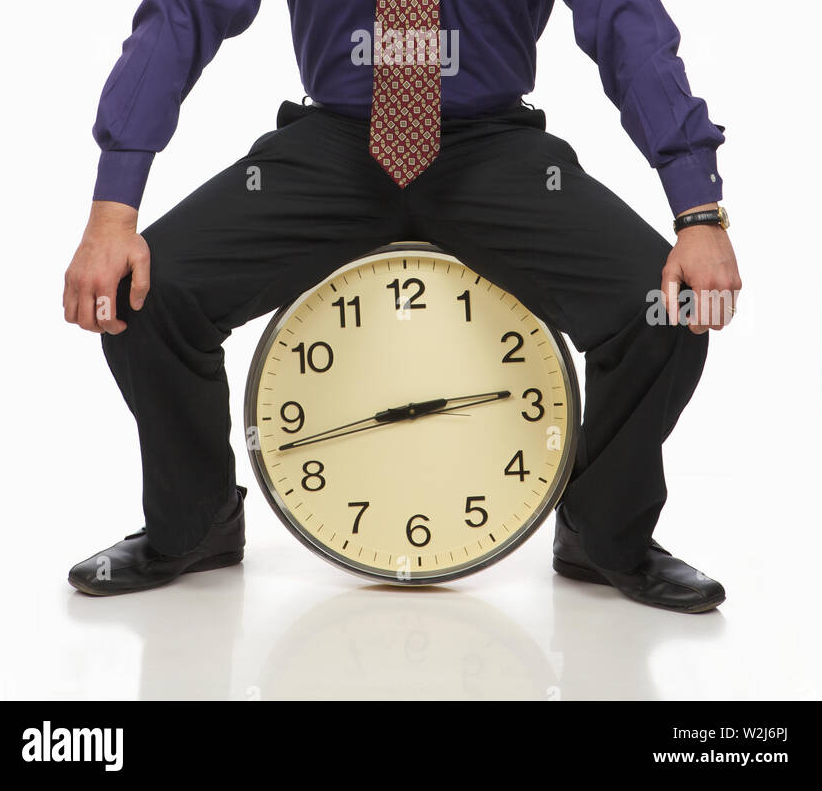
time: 2:42
